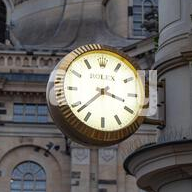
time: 3:37
